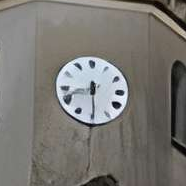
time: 8:29
